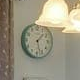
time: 1:27
